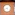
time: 4:42
